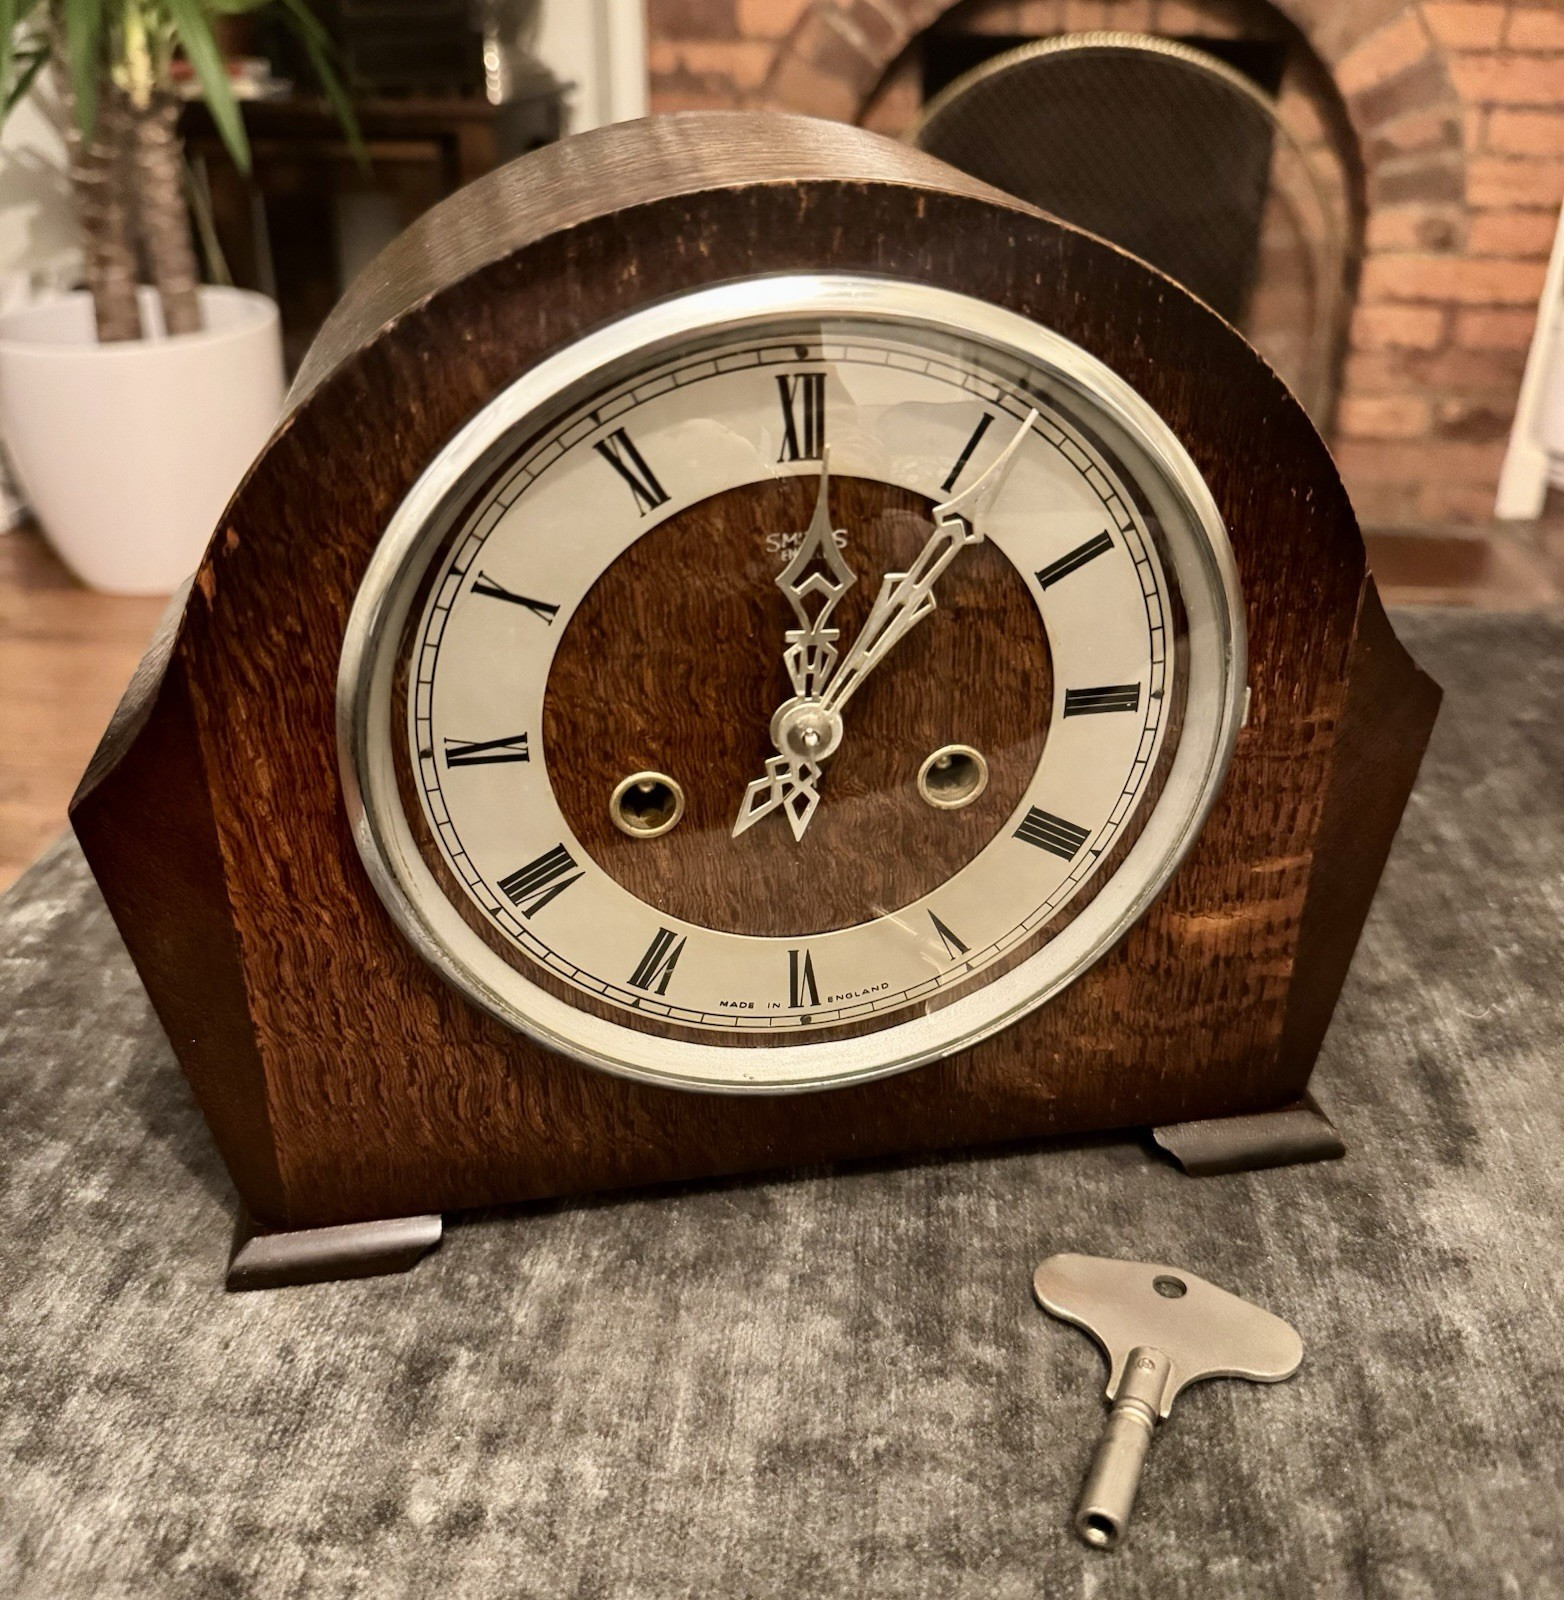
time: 12:06
